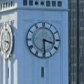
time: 3:29
